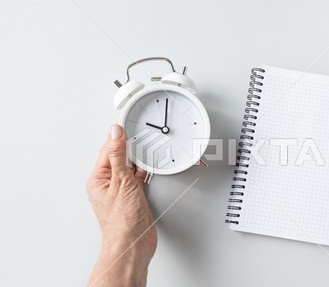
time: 10:02
